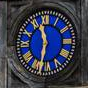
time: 11:32
